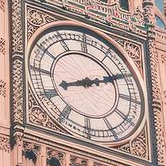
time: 8:11
